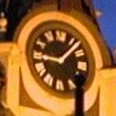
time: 9:07
